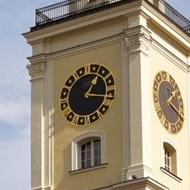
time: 1:16
